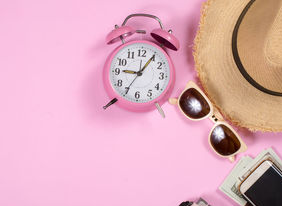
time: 9:05
